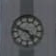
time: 4:48
